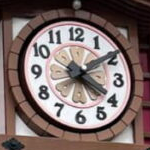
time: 4:09
